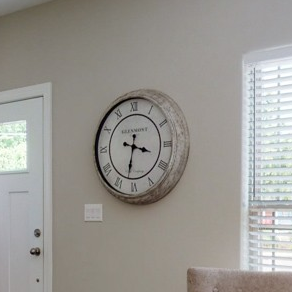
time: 3:32
